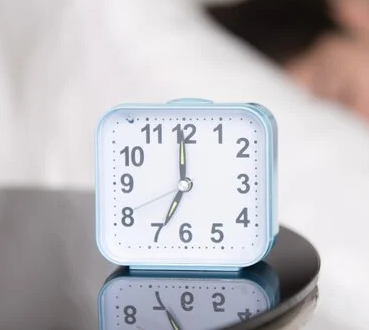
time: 6:59
